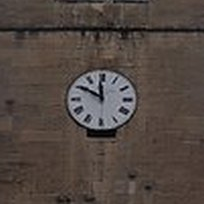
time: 11:50
